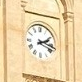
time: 2:18
